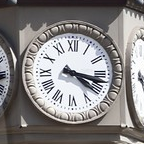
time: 4:17
